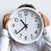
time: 10:38
